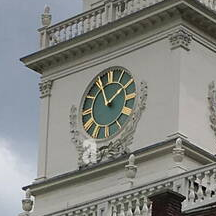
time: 1:56
